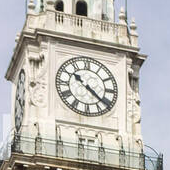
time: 10:21
